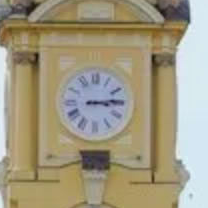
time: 3:13
